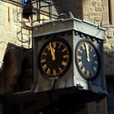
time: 11:57
